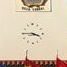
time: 3:45
